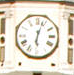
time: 6:03
